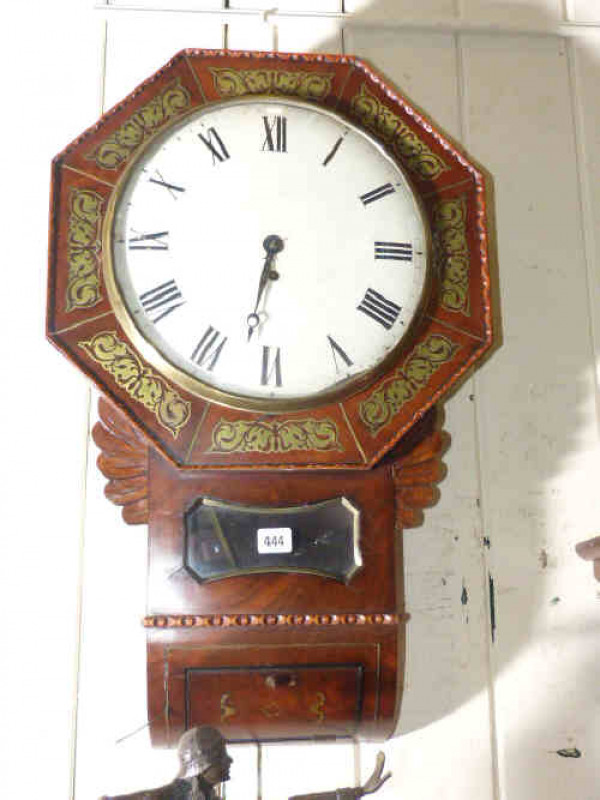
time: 6:31
